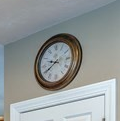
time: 9:39
